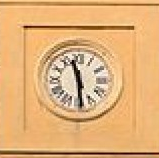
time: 11:29
